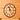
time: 11:25
